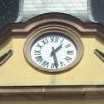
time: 1:28
